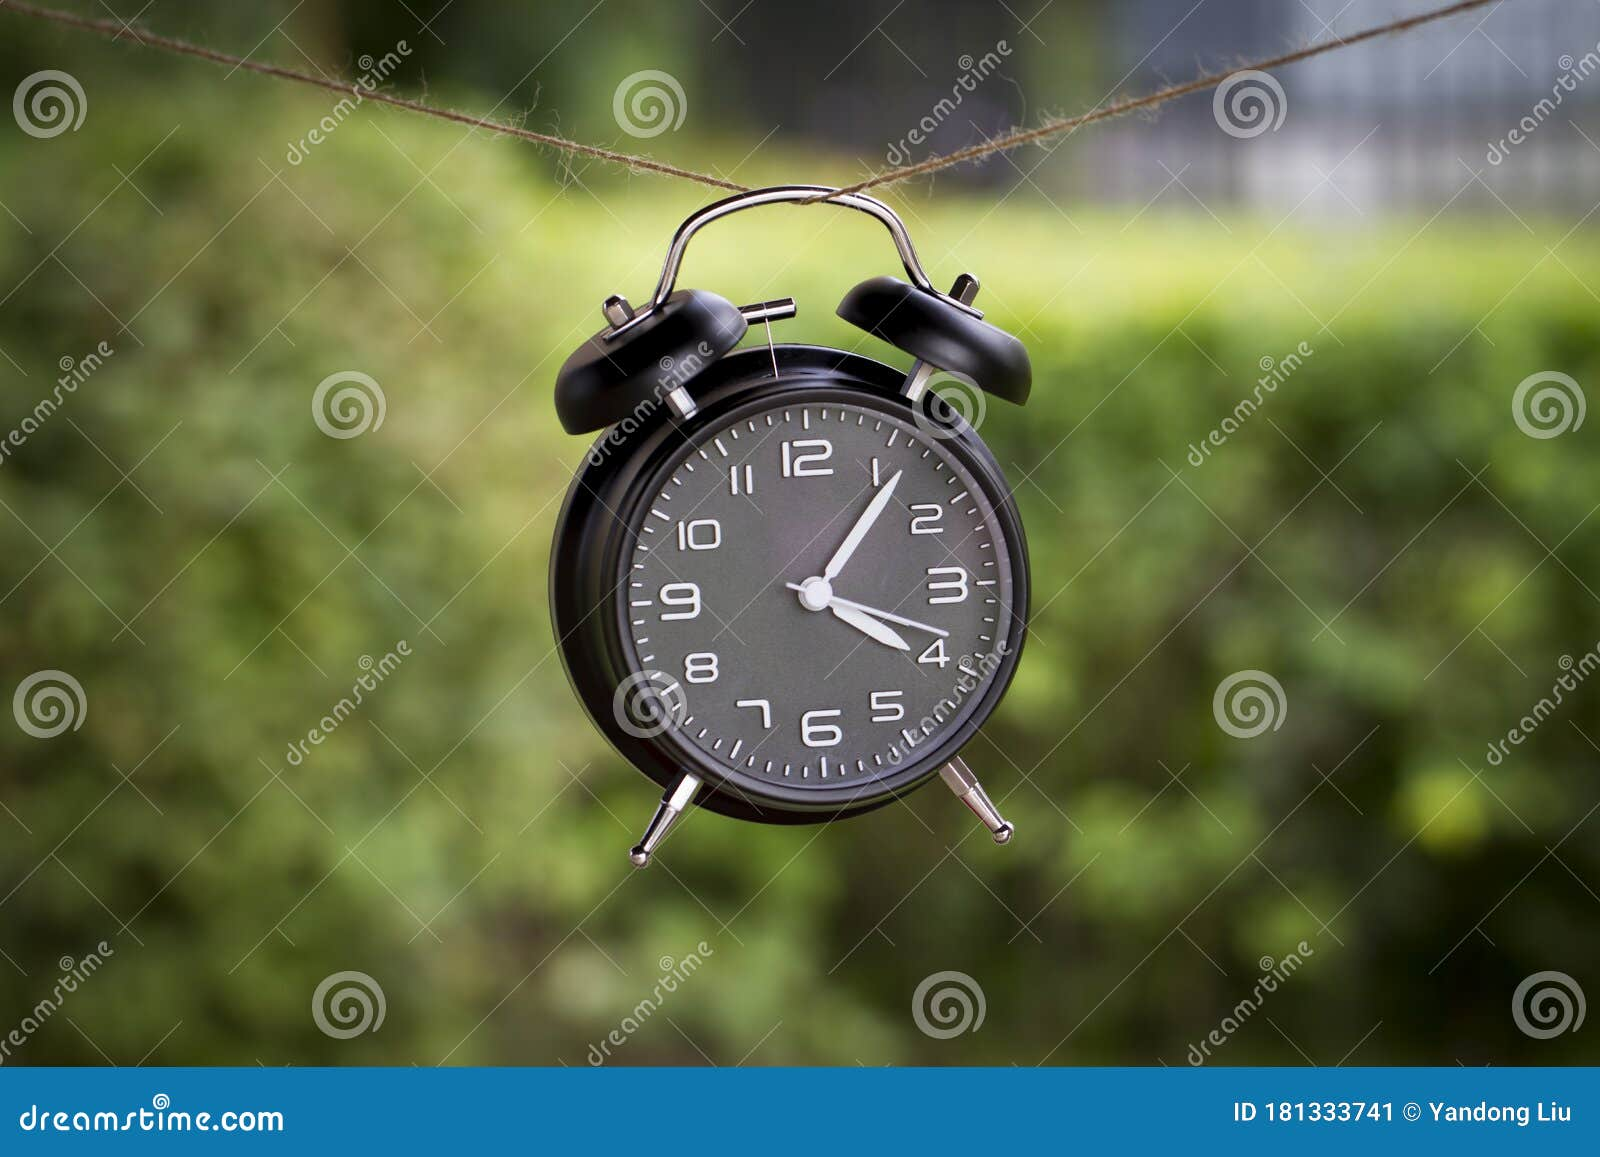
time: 4:06
